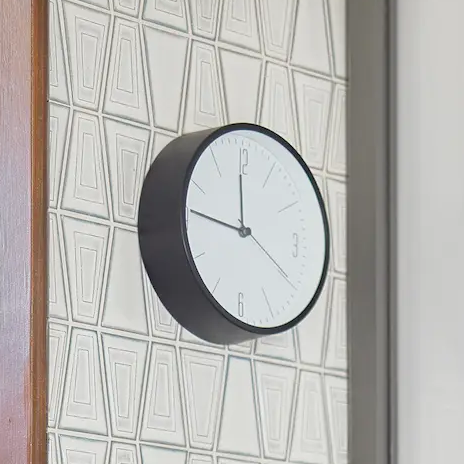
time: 11:46
